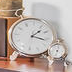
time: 1:18
